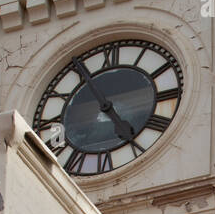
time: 4:54
